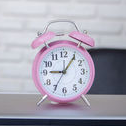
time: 9:05
